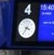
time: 3:36
